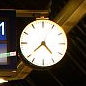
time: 4:38
